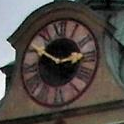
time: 2:50
